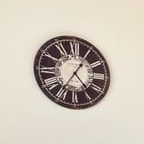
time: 4:35
